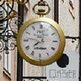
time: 7:46
